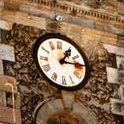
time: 1:14
